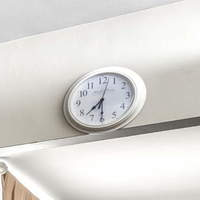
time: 7:30
